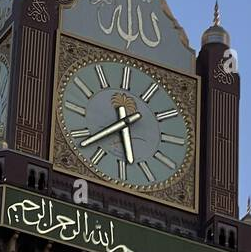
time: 5:37
